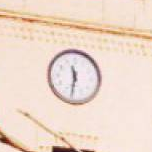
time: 11:31
